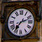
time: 7:11
